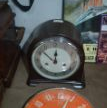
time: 11:52
